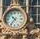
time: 10:36
